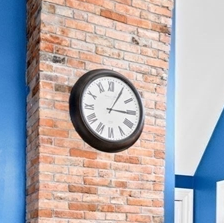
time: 3:05
